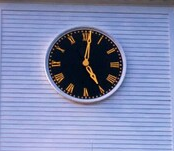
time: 5:01
